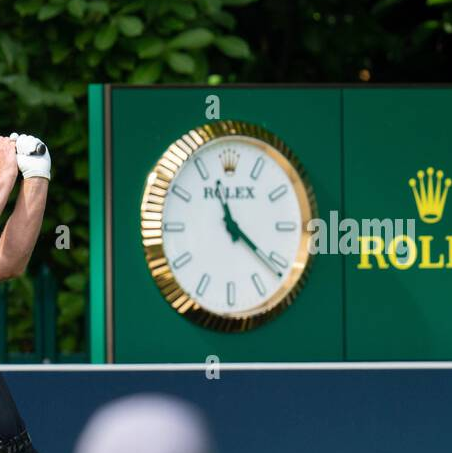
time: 11:21
